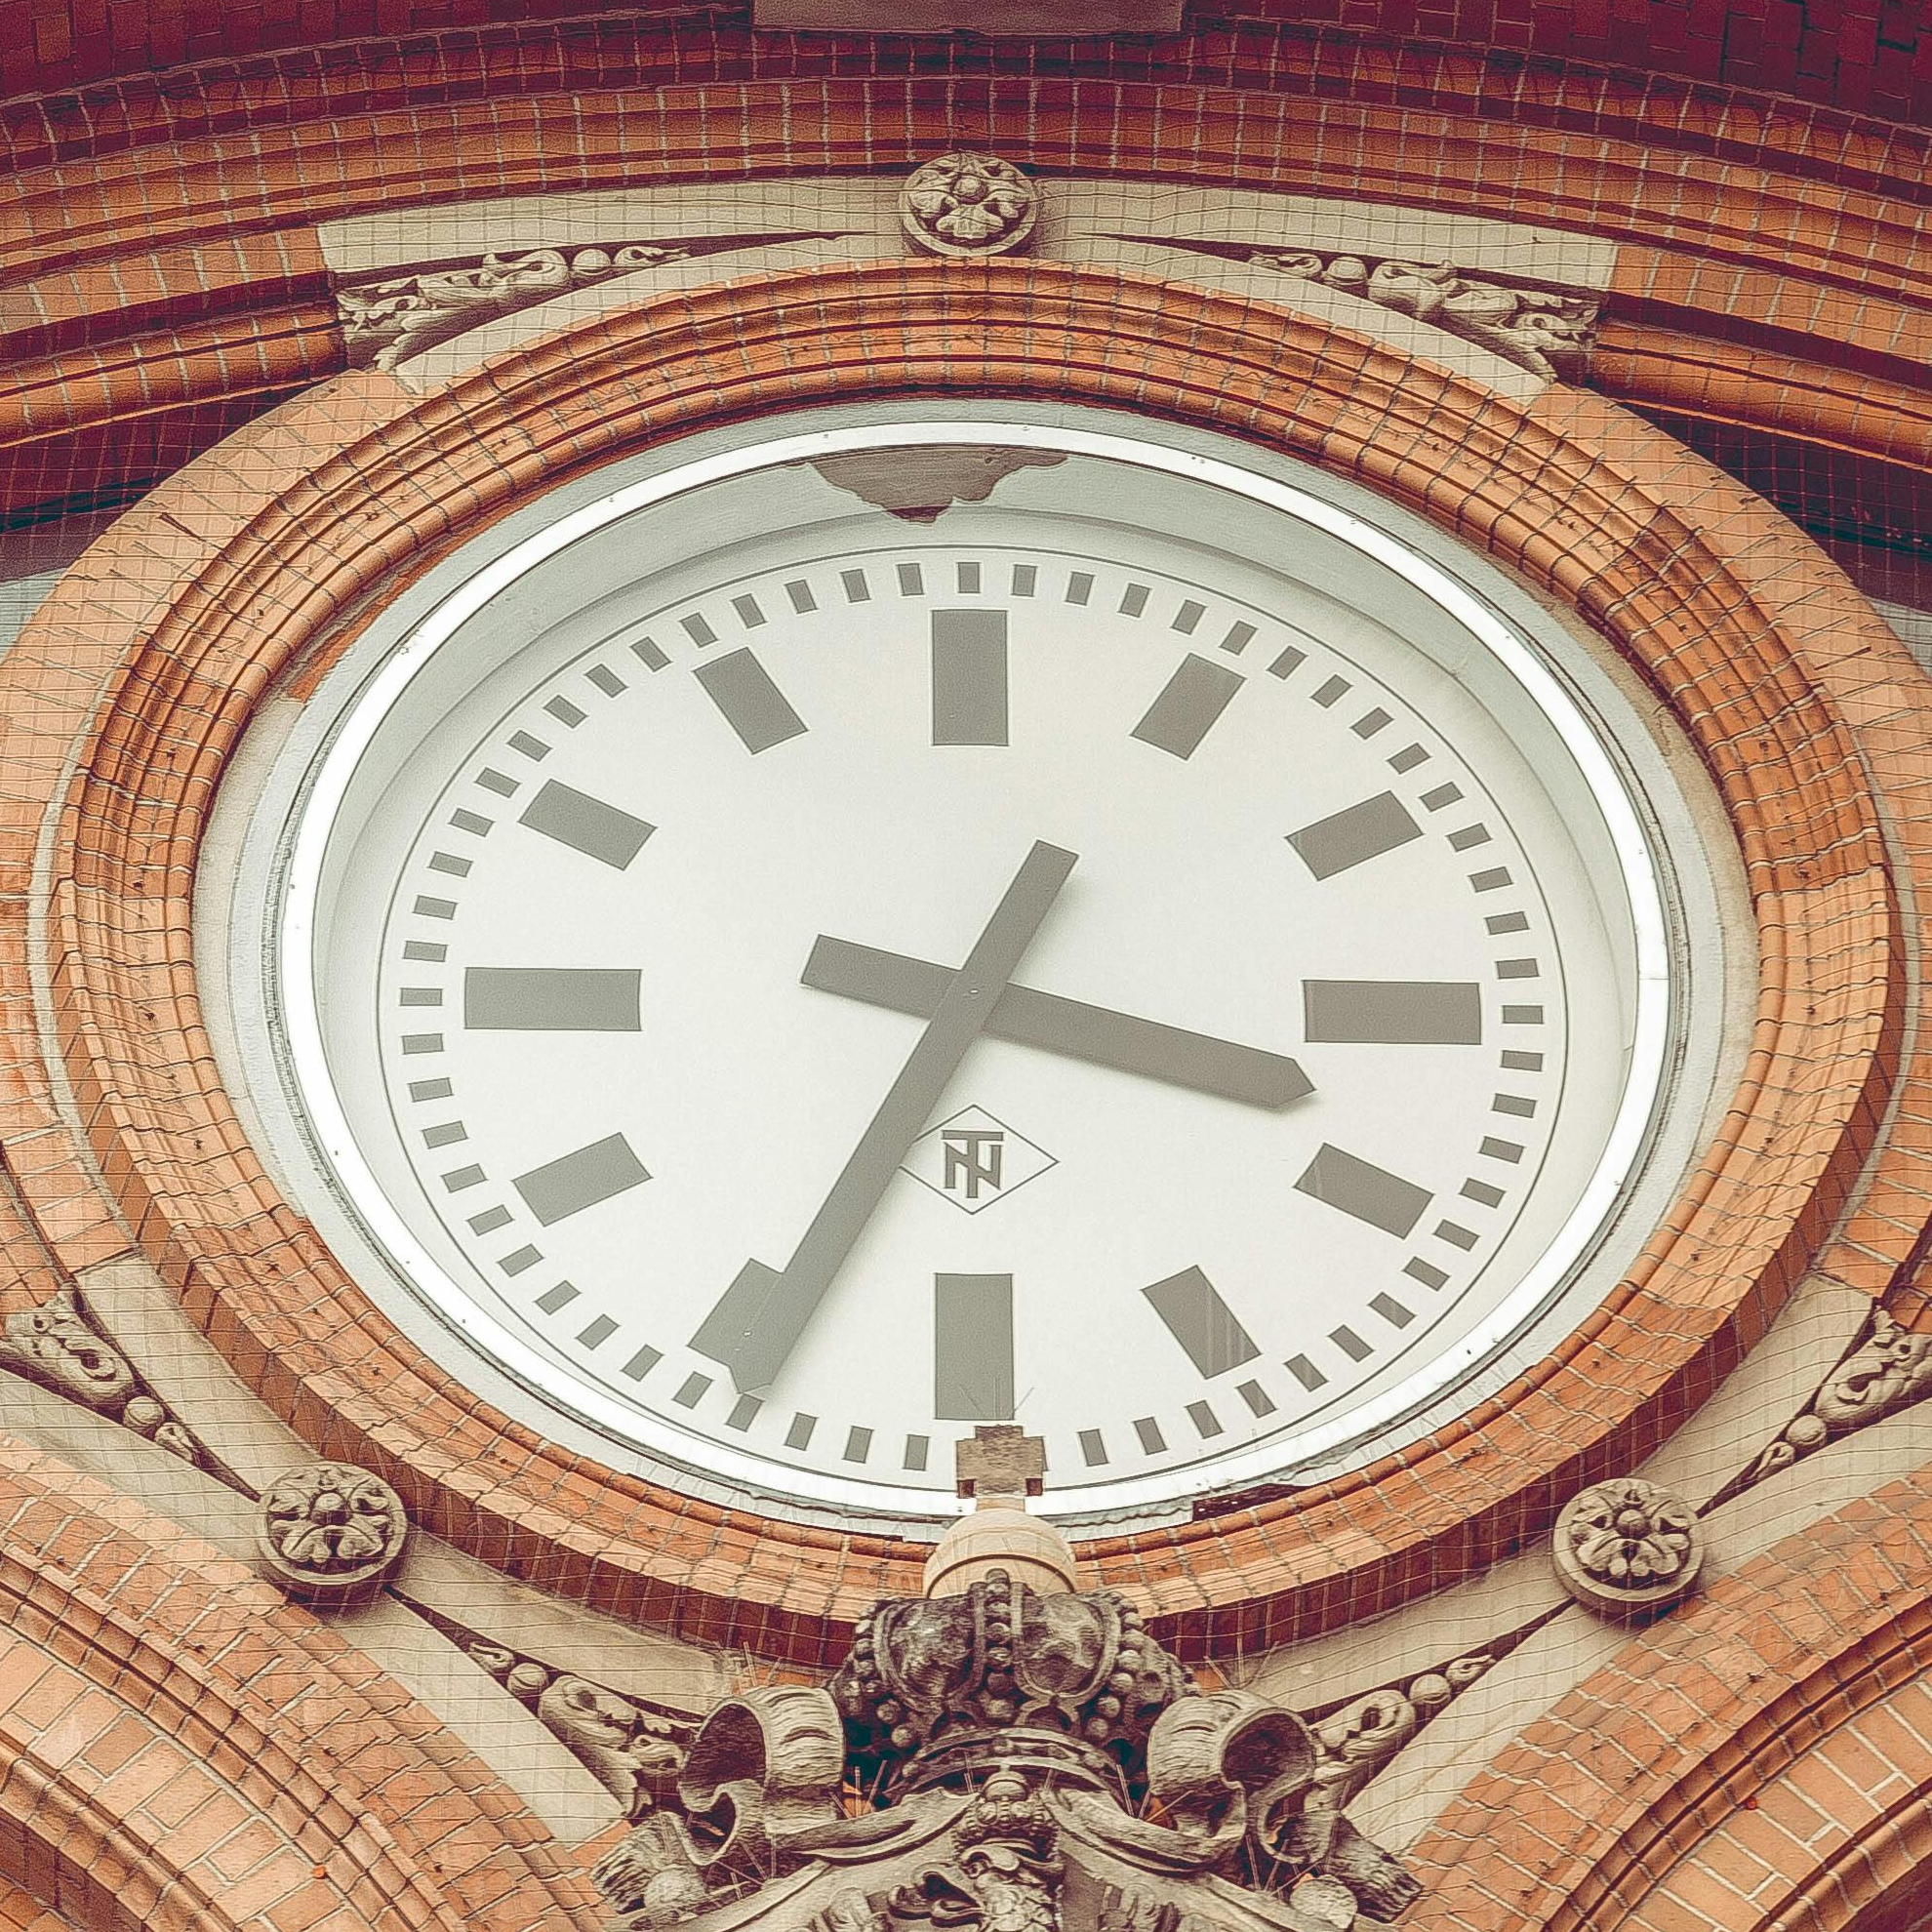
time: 3:34
